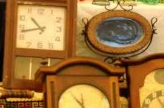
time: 10:43
